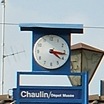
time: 4:16
